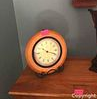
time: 10:18
